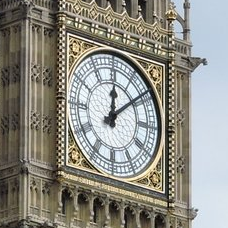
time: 12:08
